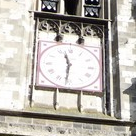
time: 11:31
